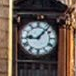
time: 9:07
